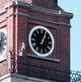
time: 1:03
